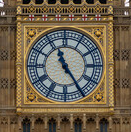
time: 11:24
